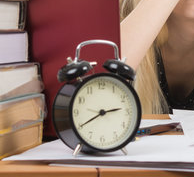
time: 2:40
